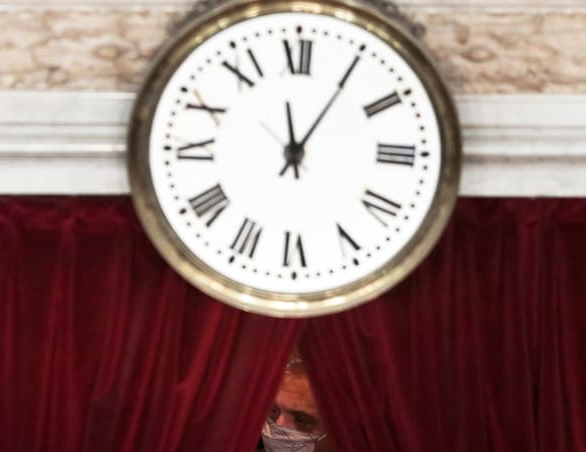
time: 12:05
